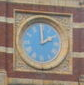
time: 2:00
